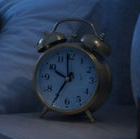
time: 6:58
